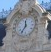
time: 11:35
